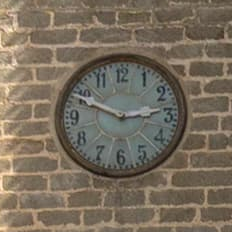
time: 2:49
